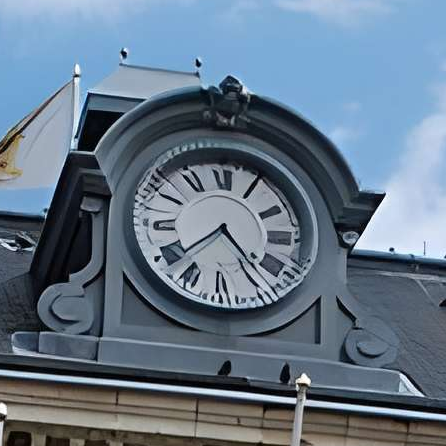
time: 4:38
